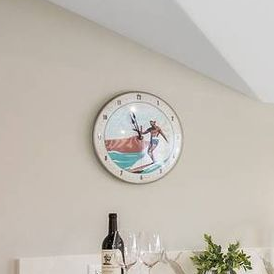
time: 1:56
